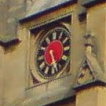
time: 5:26
